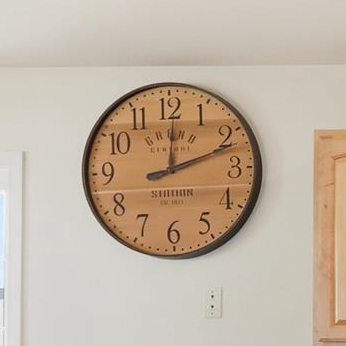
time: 12:11
